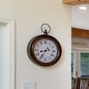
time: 8:35
